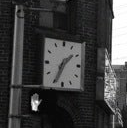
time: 1:34
